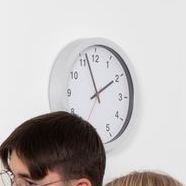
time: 1:56
